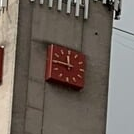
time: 11:45
